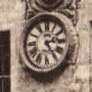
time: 2:24
